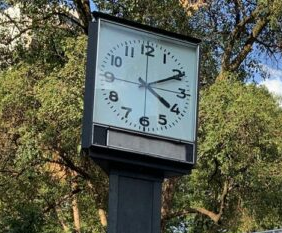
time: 4:10
